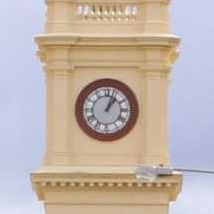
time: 1:02
